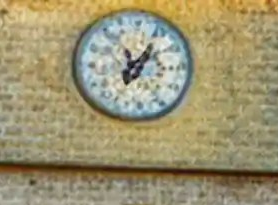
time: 12:07
